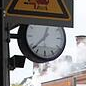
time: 12:37
